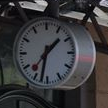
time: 1:32
